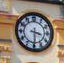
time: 3:29
